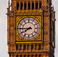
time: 7:45
